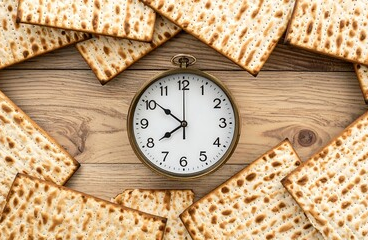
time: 7:51
